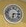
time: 6:14
